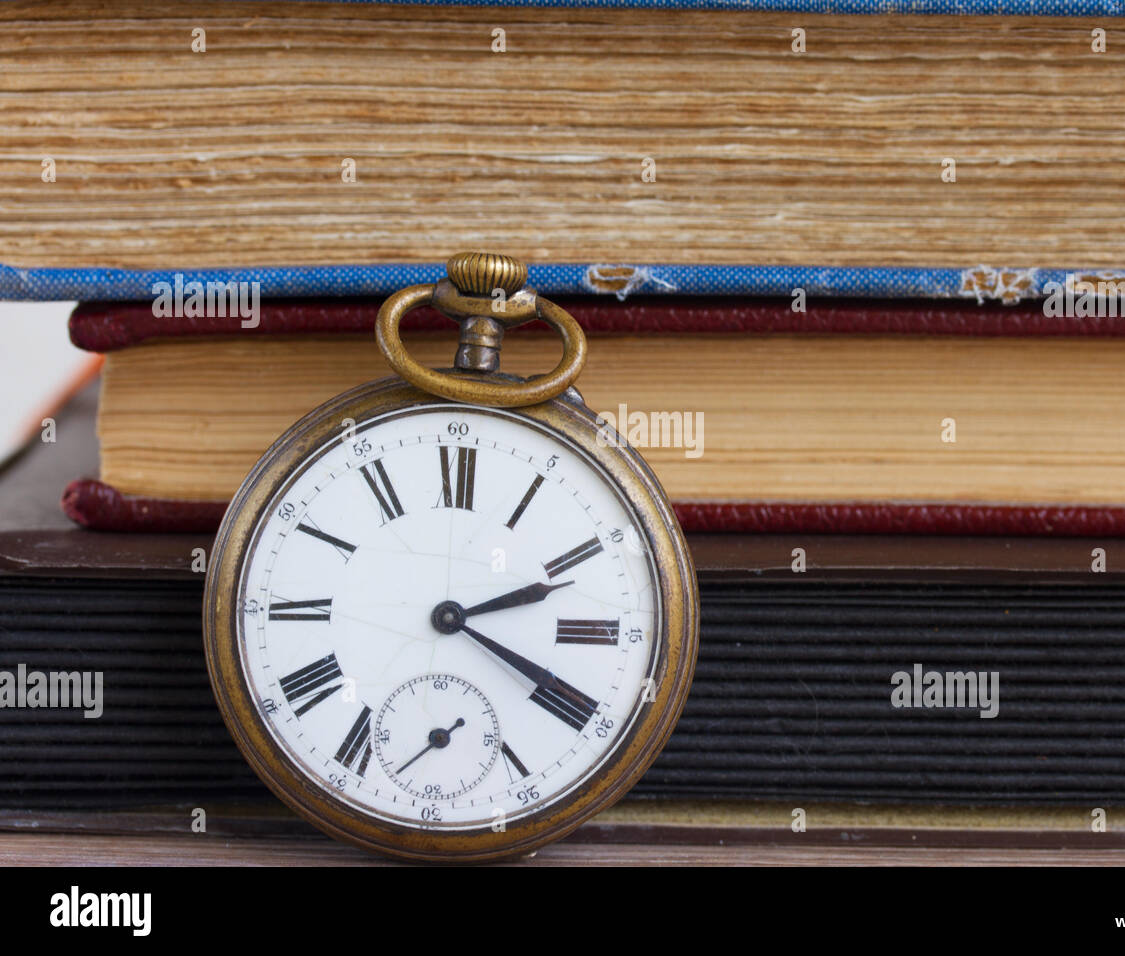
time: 2:19
